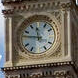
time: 11:46
